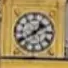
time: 1:39
